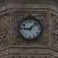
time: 9:07
